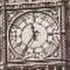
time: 11:36
